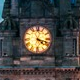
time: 4:18
